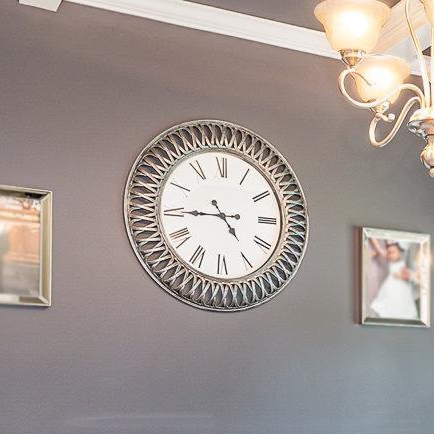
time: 4:44
